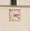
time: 2:21
